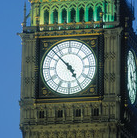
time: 4:52
